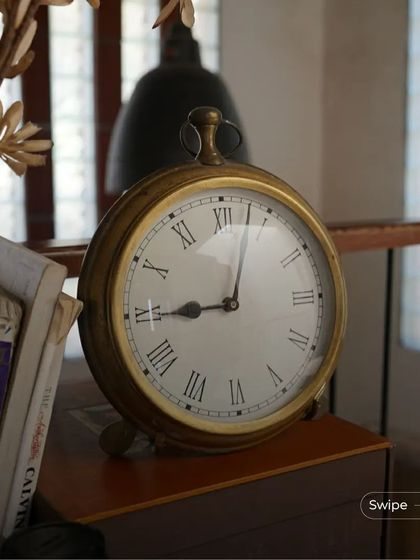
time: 9:02
